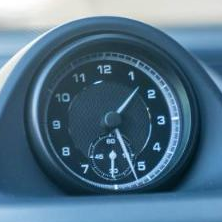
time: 1:26
